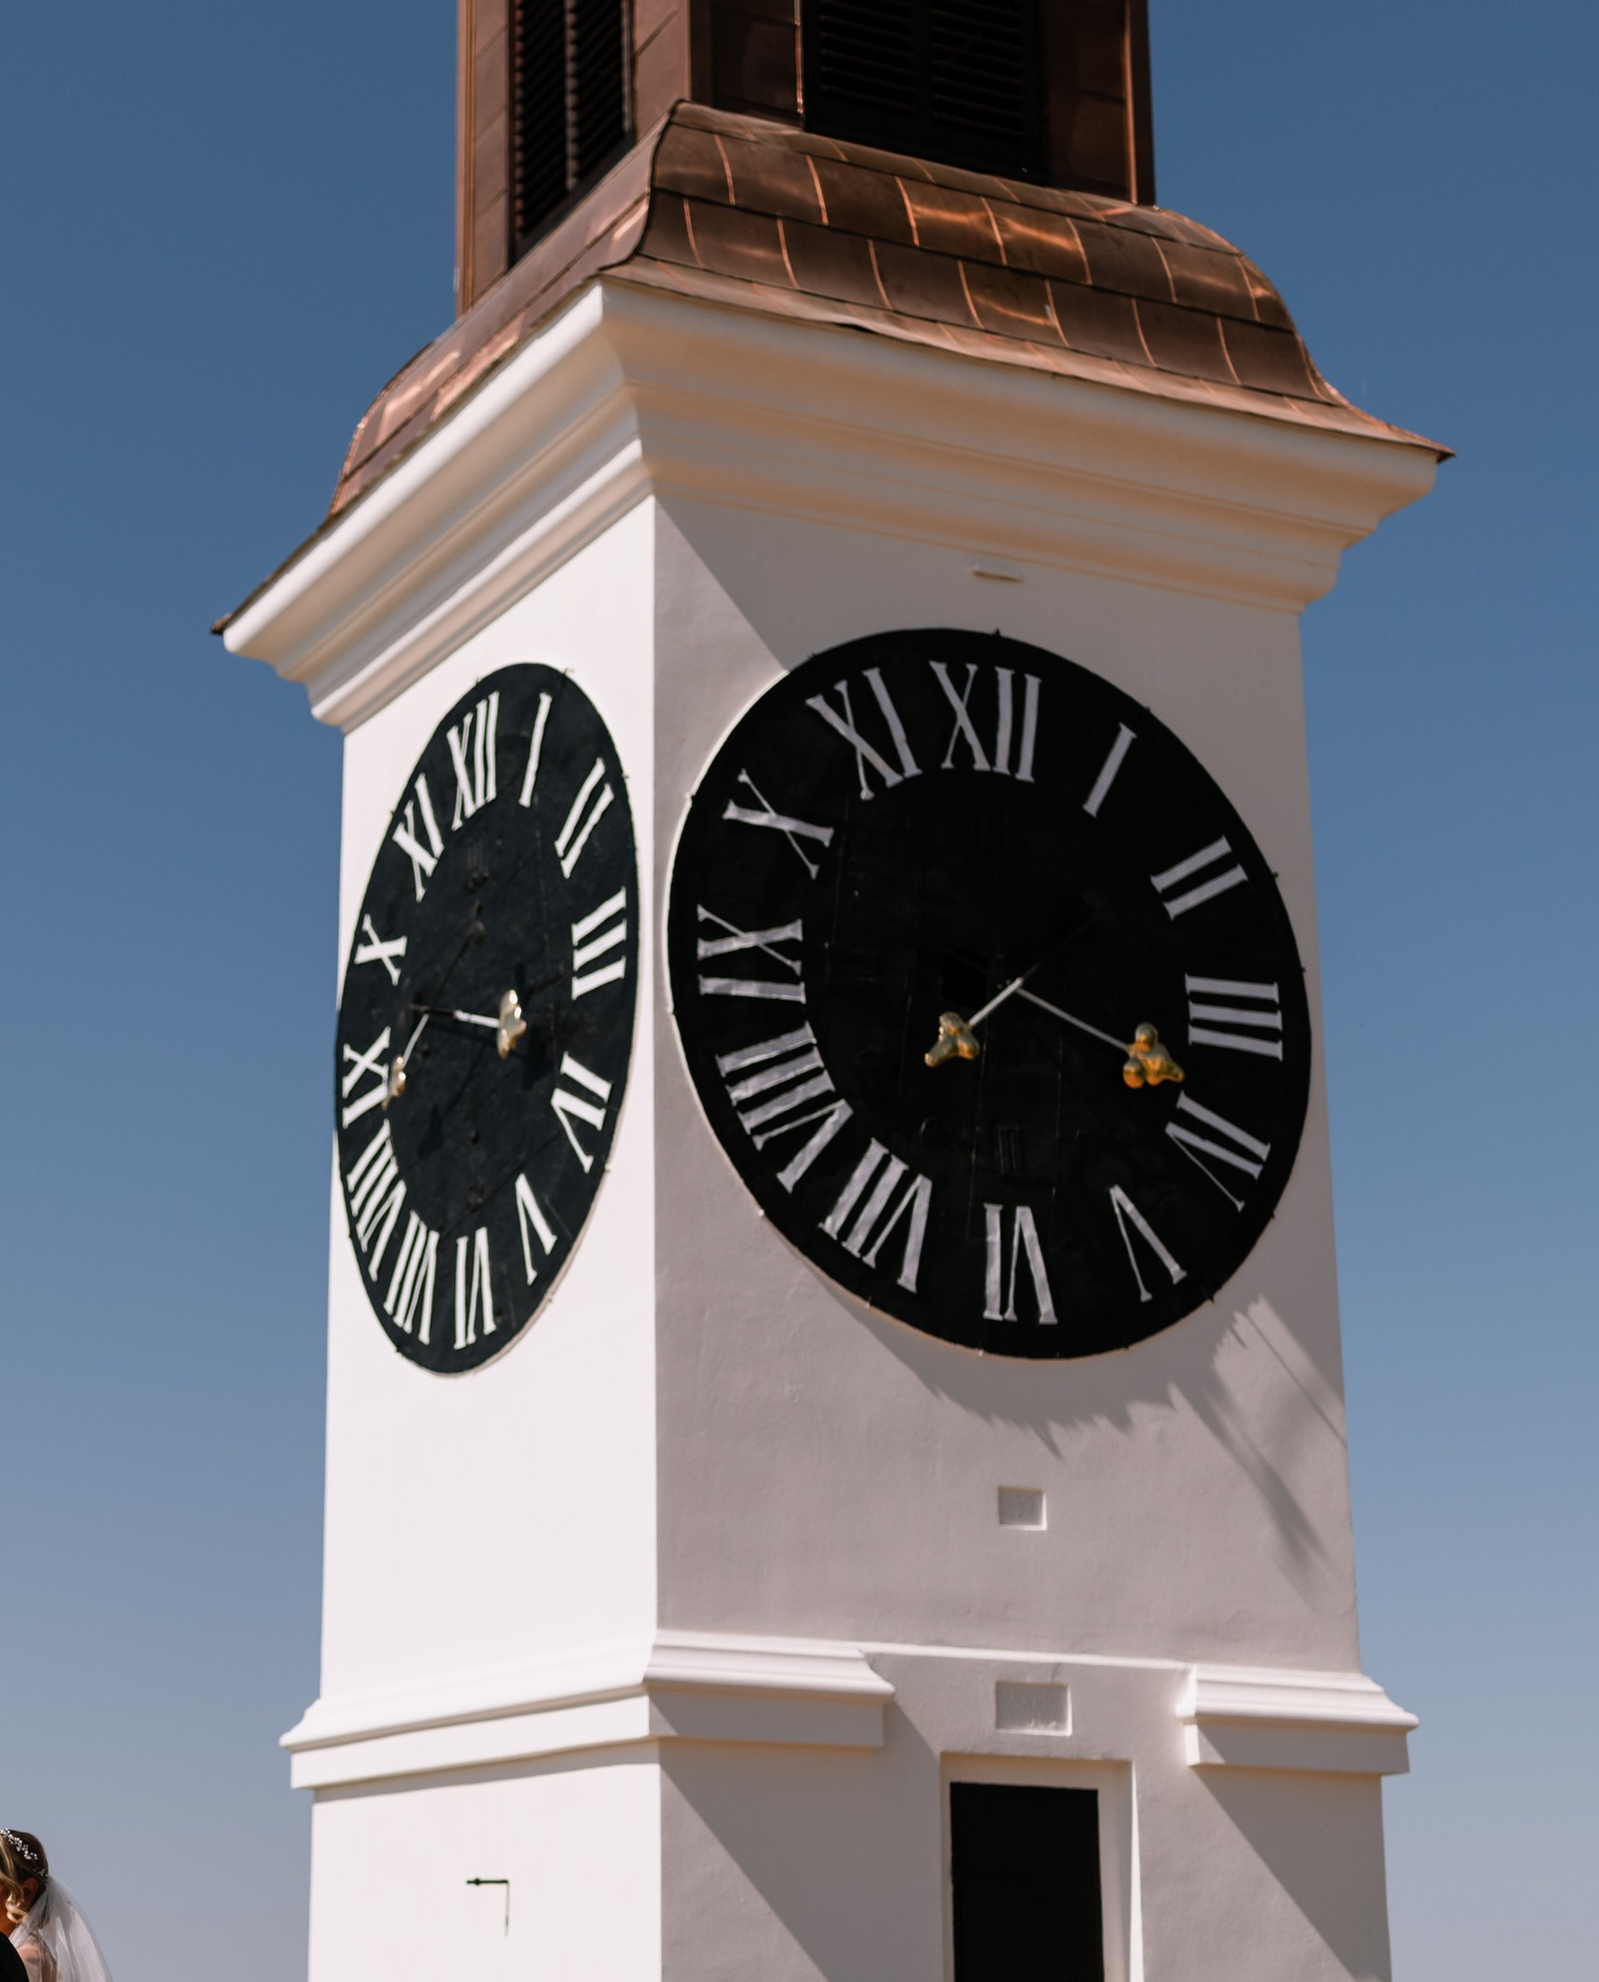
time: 1:18
